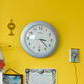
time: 3:22
